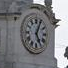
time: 5:04
